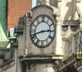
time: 2:42
